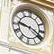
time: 9:19
